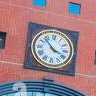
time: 3:53
